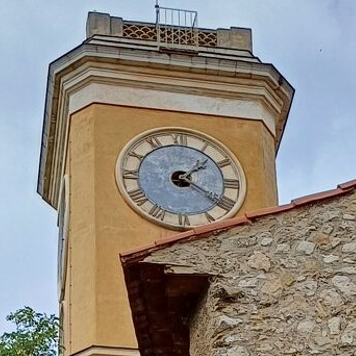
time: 1:21
